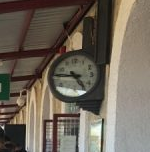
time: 4:46
